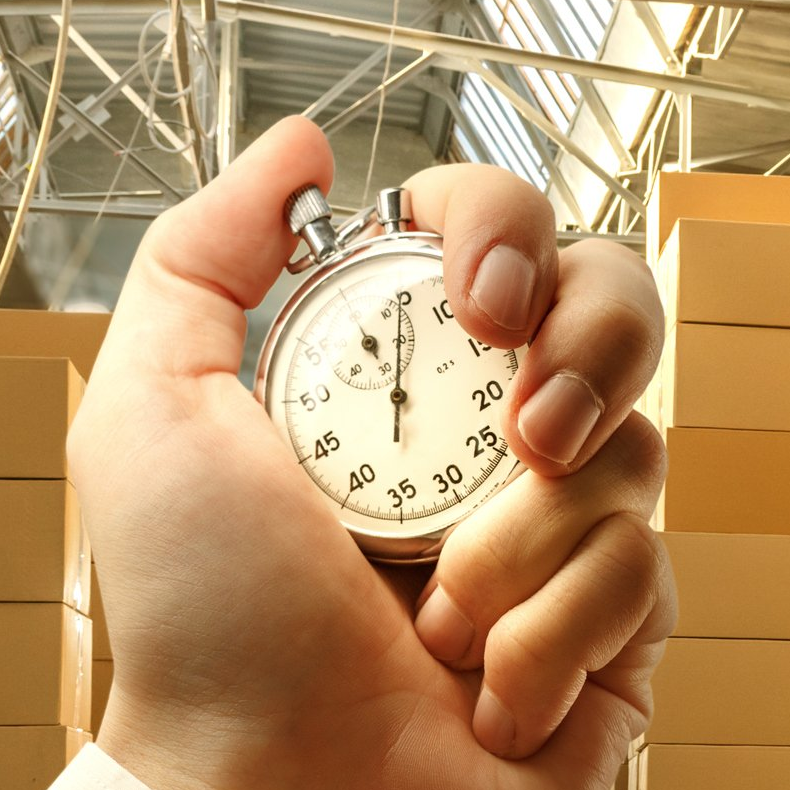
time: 11:00
